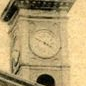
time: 3:48
